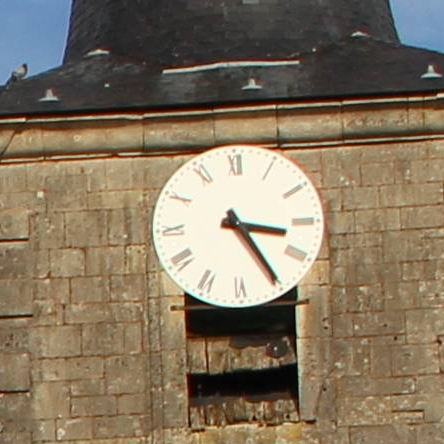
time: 3:24
